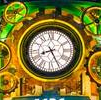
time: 8:25
